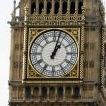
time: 1:02
